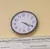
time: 4:19
